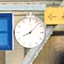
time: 8:07
